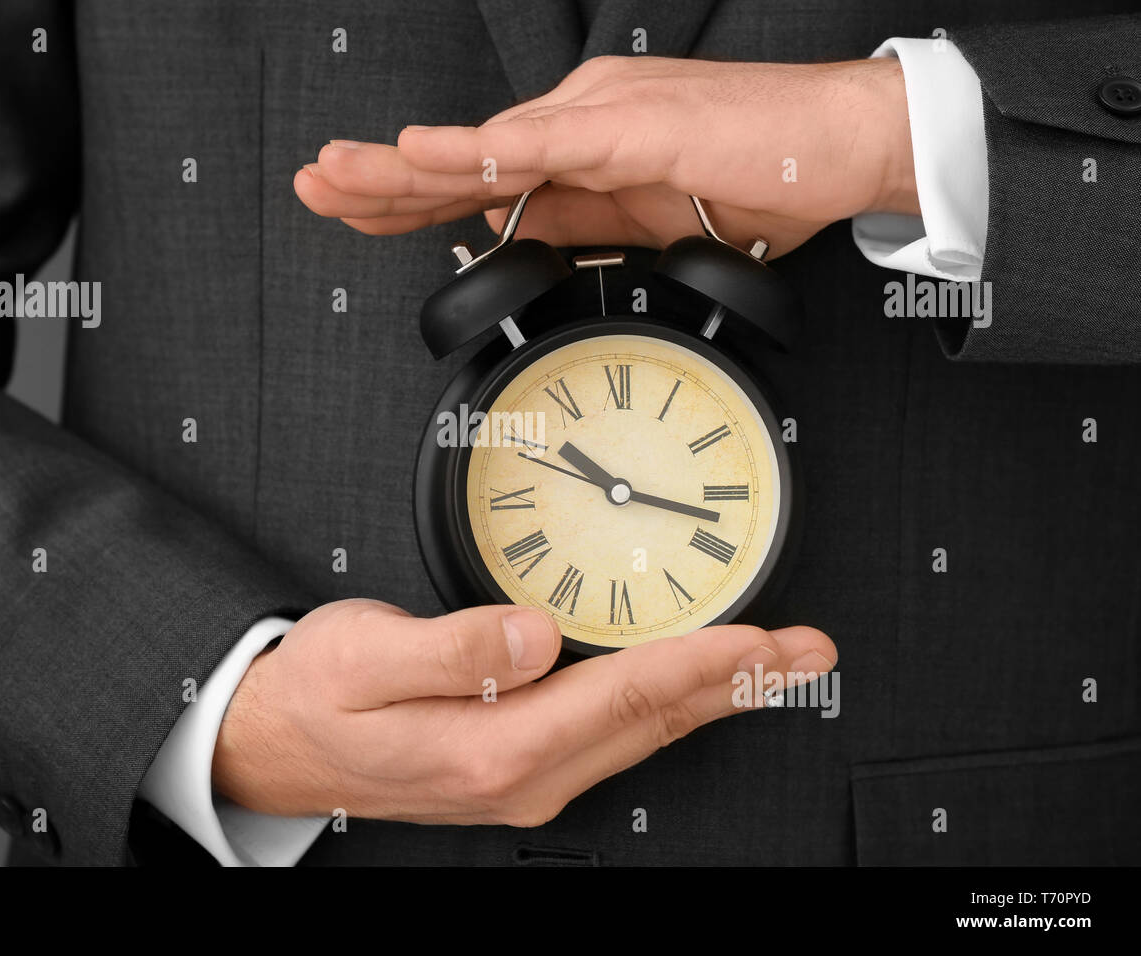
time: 10:17
